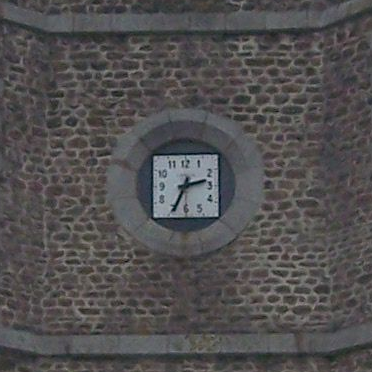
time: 2:33
